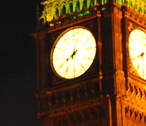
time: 8:02
